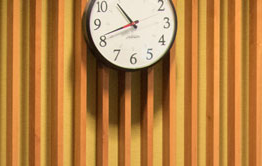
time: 10:41
